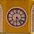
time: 6:23
